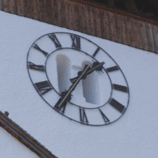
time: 1:35
